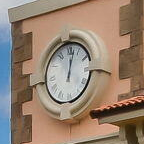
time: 12:02
